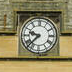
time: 9:37
